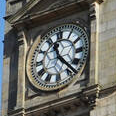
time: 11:23
